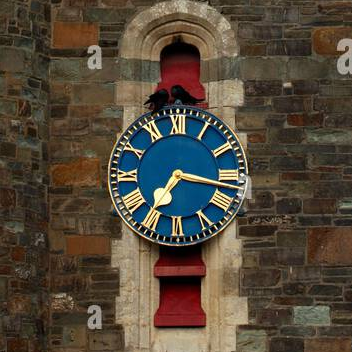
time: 7:16
